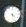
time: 4:27
